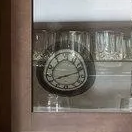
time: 8:12
